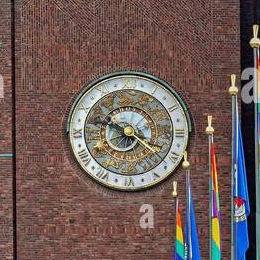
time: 3:47
